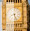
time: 8:27
